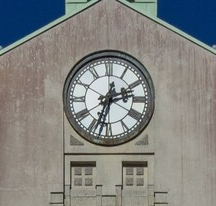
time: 2:33
